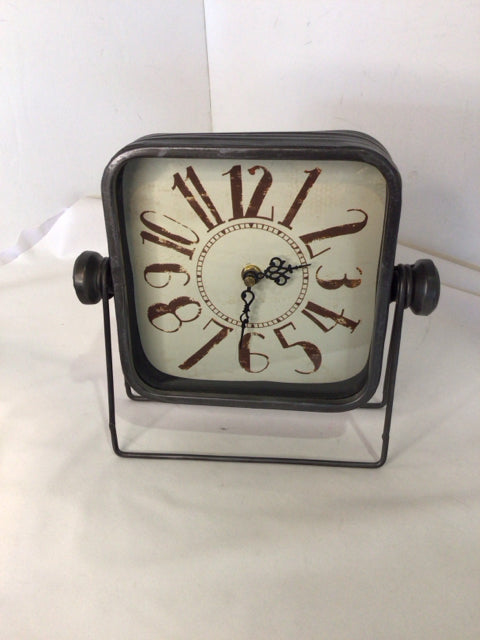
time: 2:31
